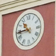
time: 10:43
